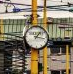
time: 1:16
